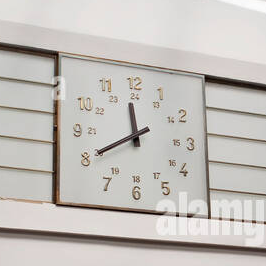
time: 11:40
